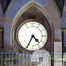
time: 4:34
